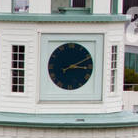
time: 3:10
